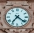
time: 7:21
